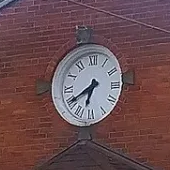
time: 6:40
